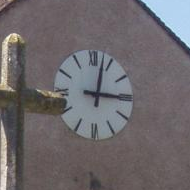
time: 3:02
